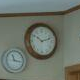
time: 10:12
